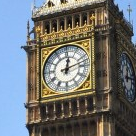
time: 12:12
